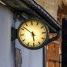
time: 5:51
